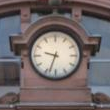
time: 9:33
